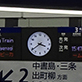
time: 3:39
